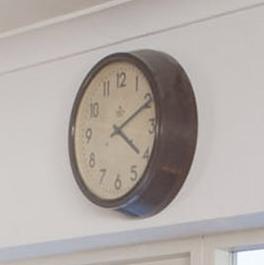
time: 4:10
